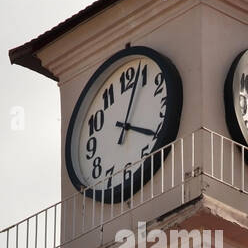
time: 4:03
